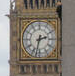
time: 2:32
